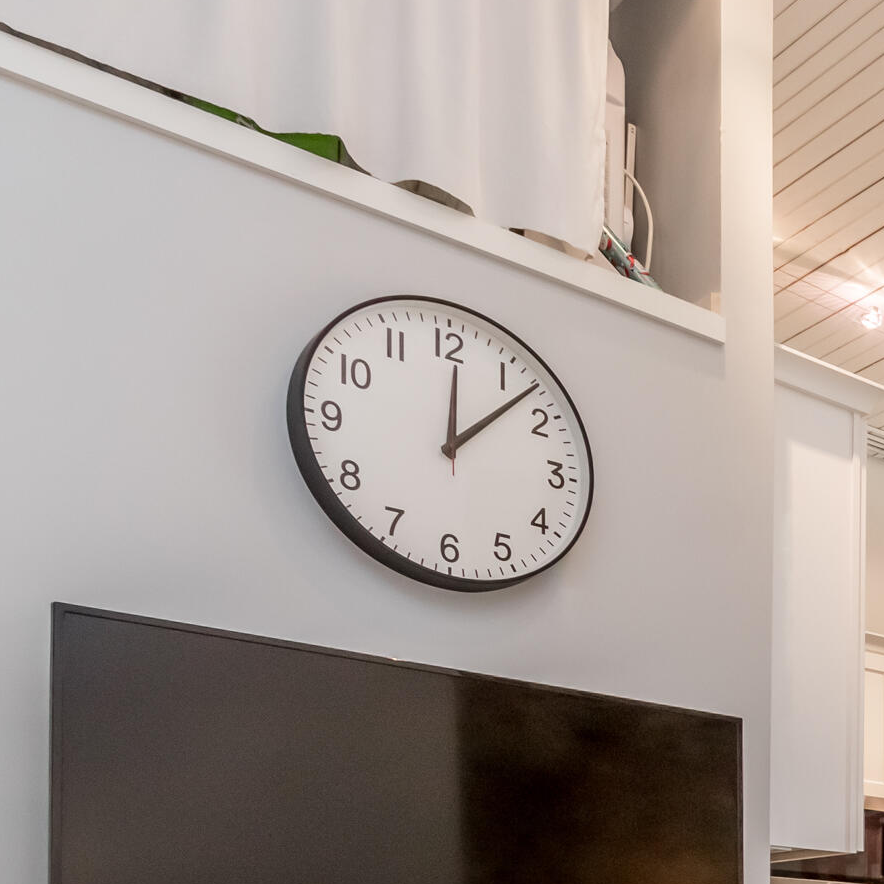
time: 12:07
